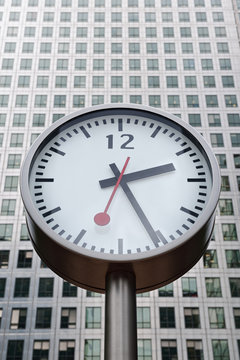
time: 2:25
